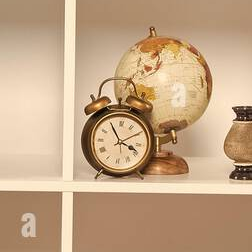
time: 3:55
